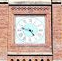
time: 4:47
